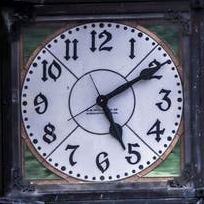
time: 5:09
